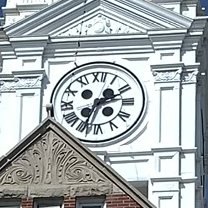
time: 2:33
